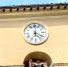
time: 4:01
